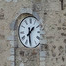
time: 1:30
